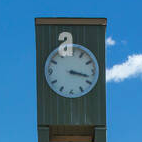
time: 3:17
